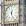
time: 12:26
